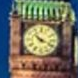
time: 10:18
